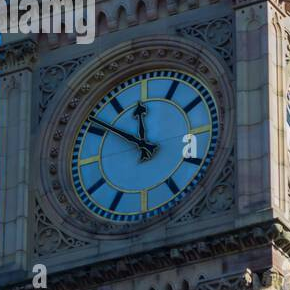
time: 11:50
